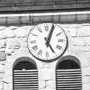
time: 5:03
